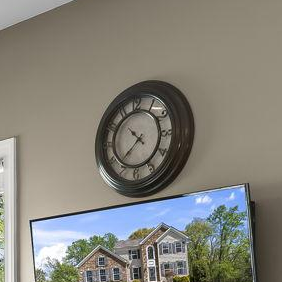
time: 10:37
